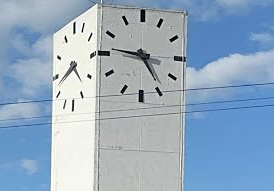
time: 4:46
